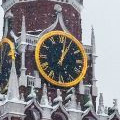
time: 1:02
